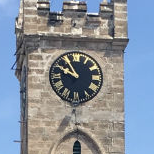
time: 9:54
